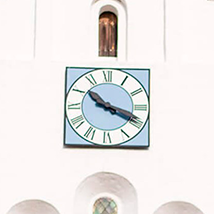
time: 10:18
